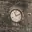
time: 11:11
